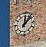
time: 12:07
